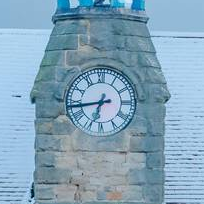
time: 6:43
